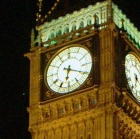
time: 6:19
